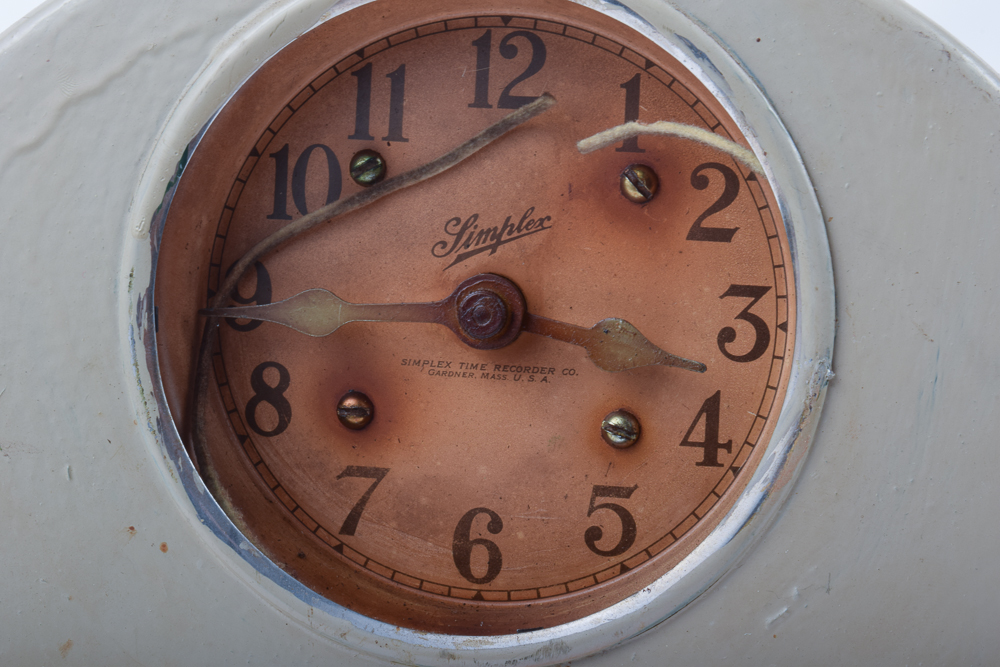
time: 3:44
